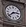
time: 2:38
